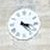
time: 3:22
